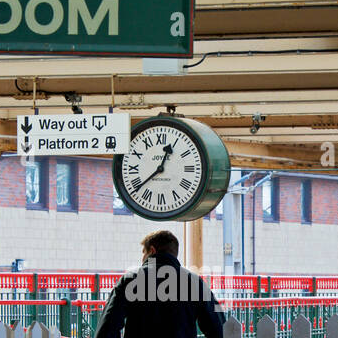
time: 12:38
